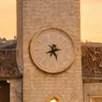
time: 8:26
